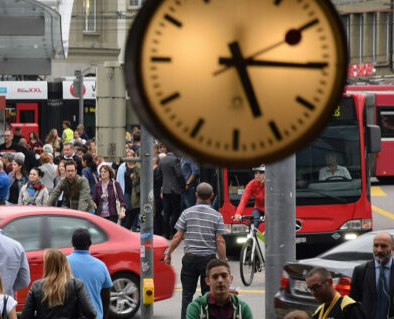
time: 5:15
